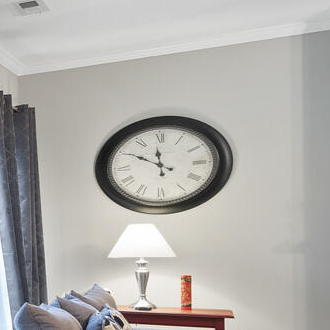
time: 11:50
